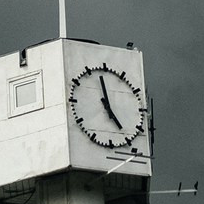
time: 4:58
